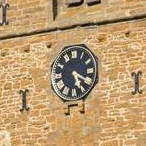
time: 5:19
